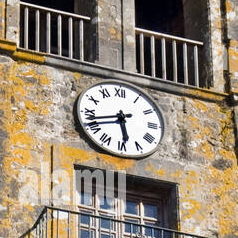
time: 5:42
